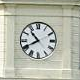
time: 10:40
